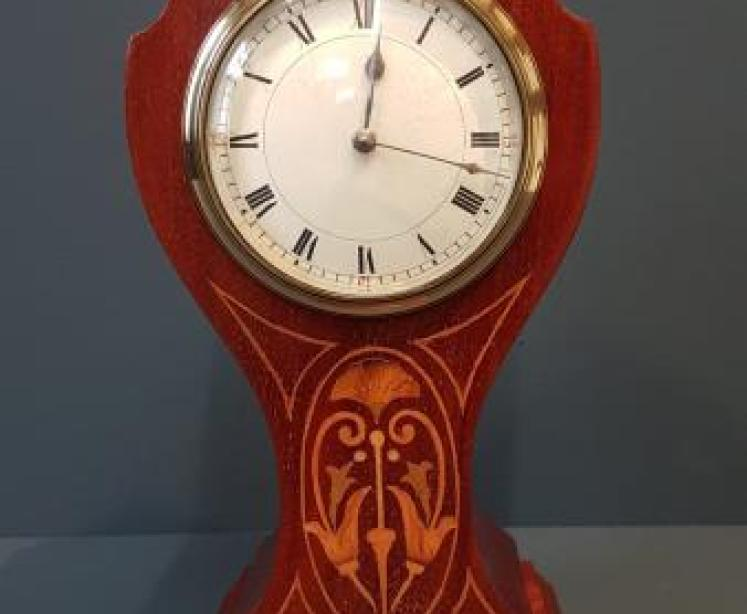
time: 12:17
